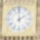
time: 1:59
